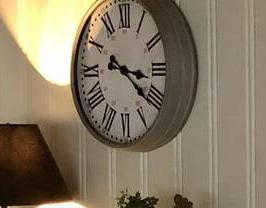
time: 3:21
